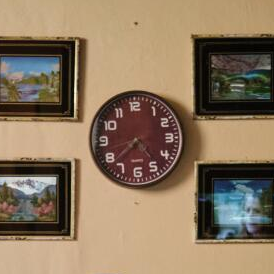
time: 4:38
